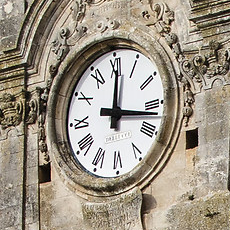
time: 12:16
